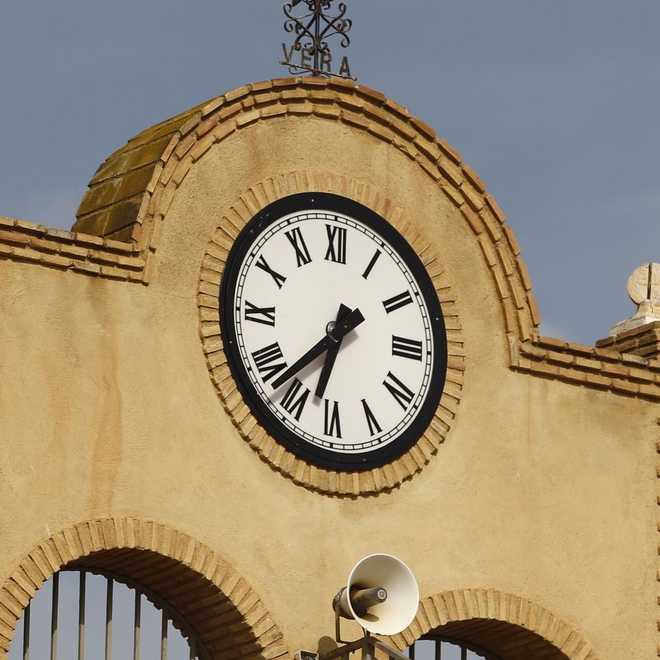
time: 6:37
